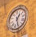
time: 12:26
